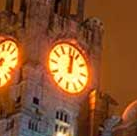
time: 12:02
